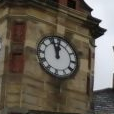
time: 11:56
